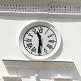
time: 11:30
